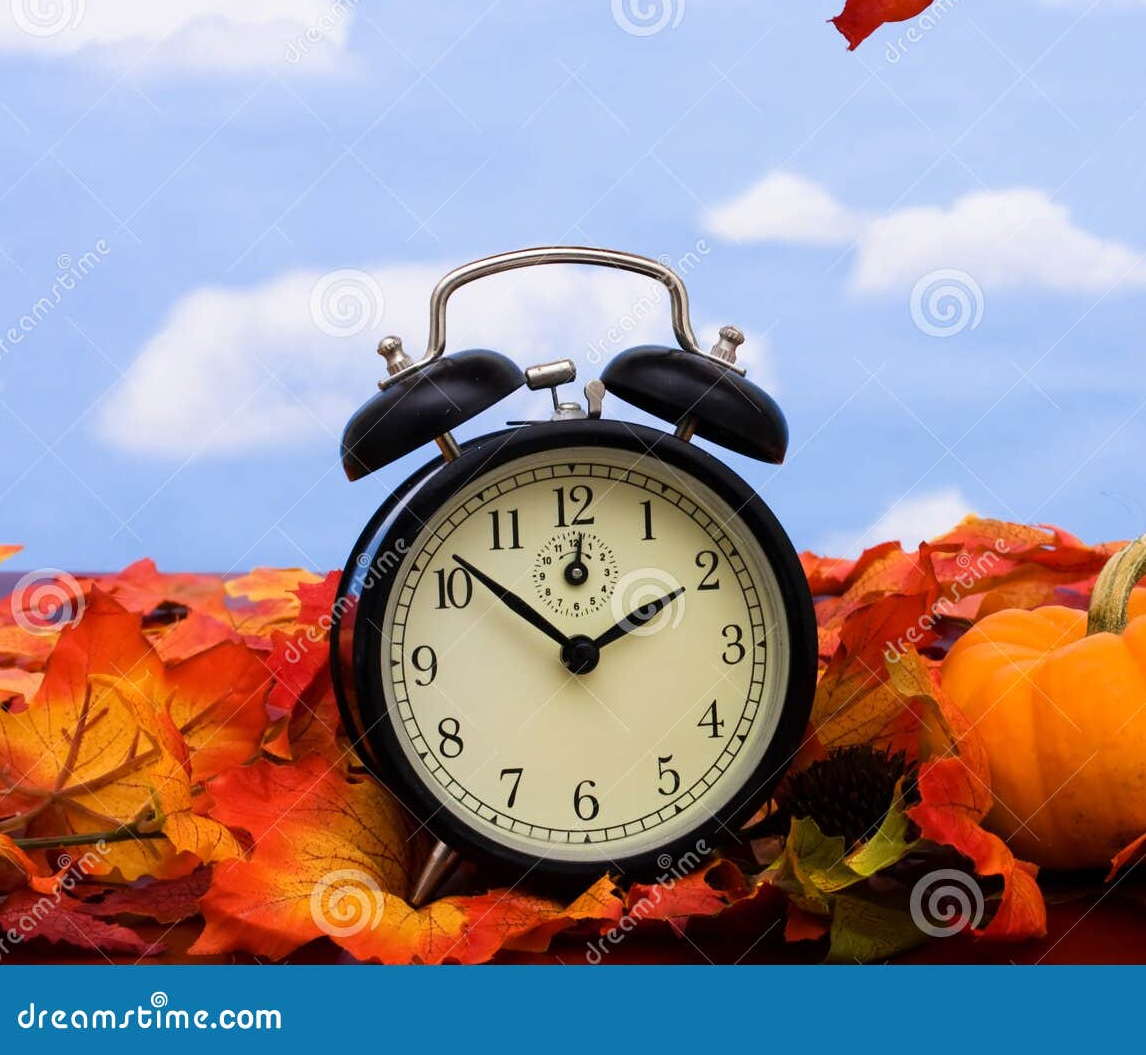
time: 1:51
